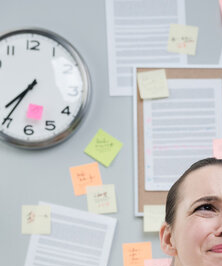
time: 7:35
